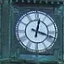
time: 12:18
